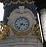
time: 3:34
